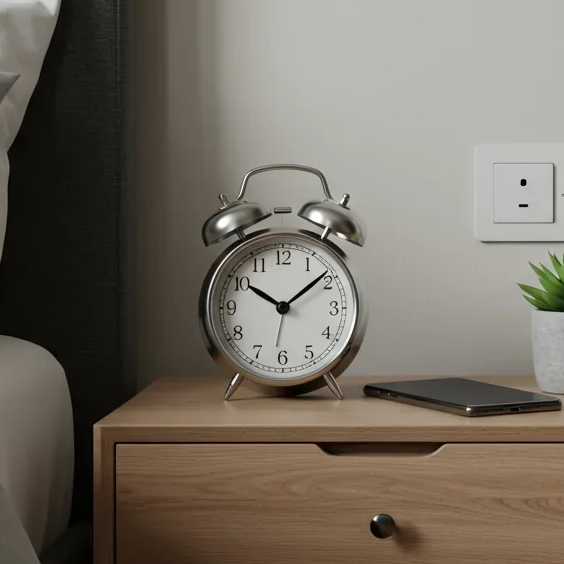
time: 10:08
